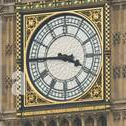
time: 3:45
